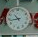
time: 10:43
